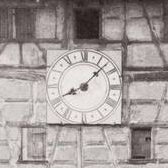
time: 8:07
